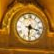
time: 3:31
